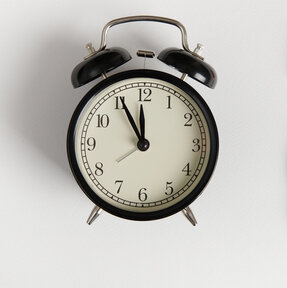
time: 11:55
